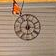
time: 5:59
